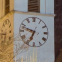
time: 6:47
